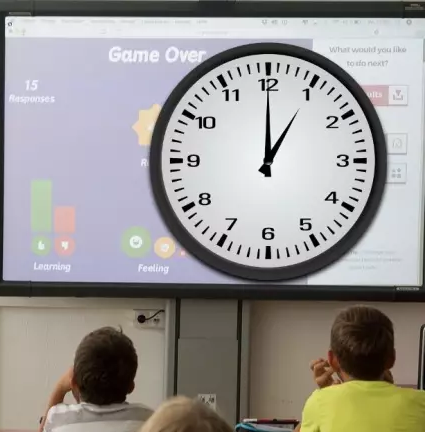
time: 1:00
